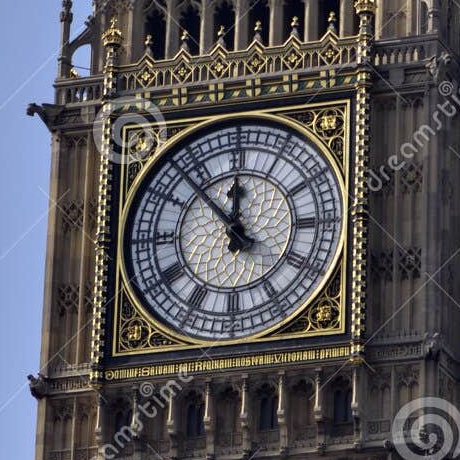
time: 11:52
